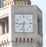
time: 8:32
